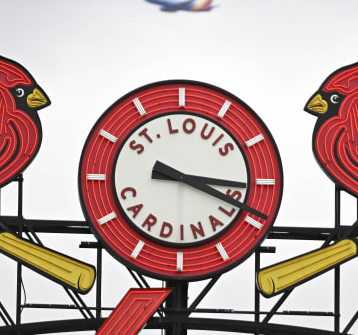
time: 3:18
